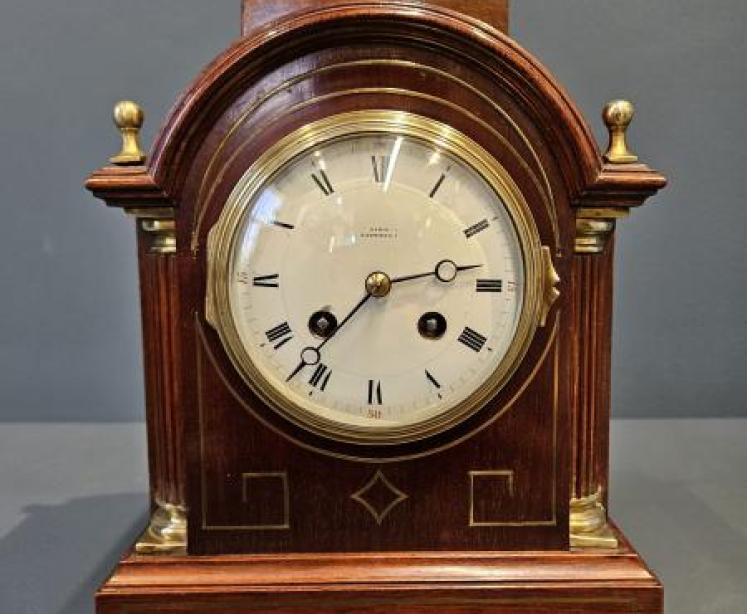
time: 2:37
